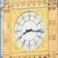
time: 8:16
